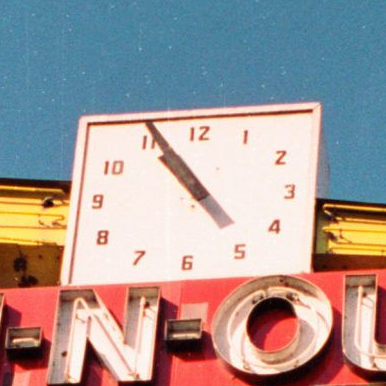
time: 10:55
